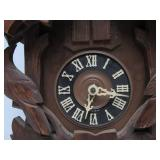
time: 3:32
